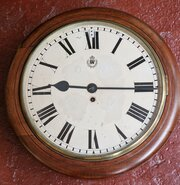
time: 9:15
